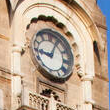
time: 9:04
